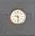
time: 9:28
